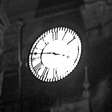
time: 3:46
